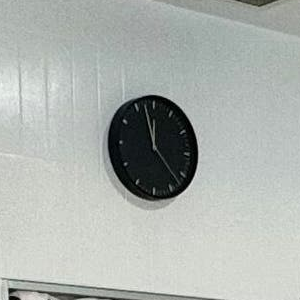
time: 11:57
